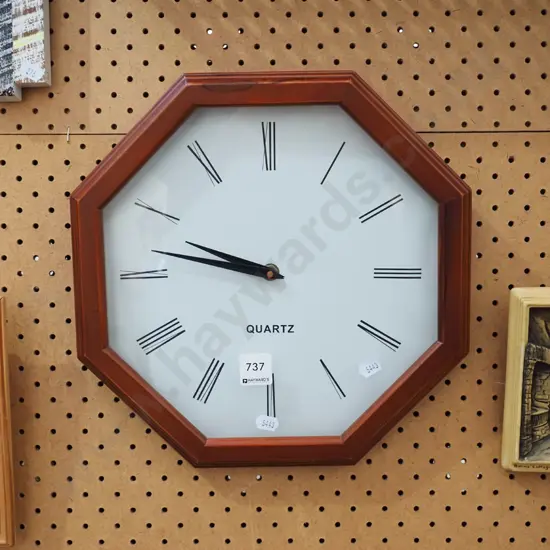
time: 9:47
